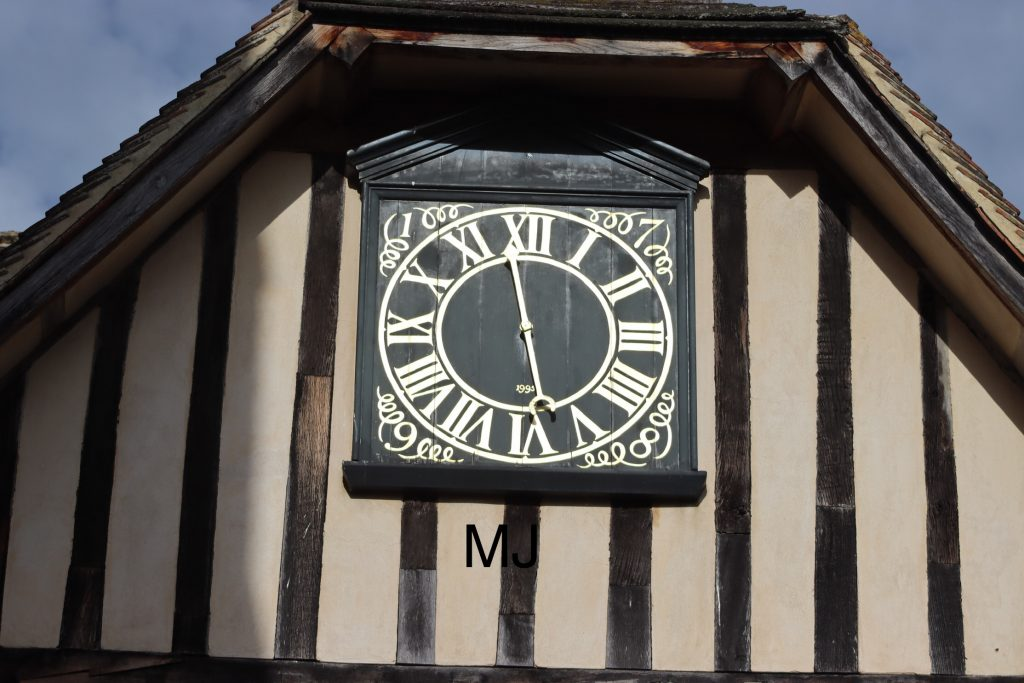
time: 5:58
